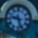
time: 9:27
